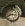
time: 8:16
